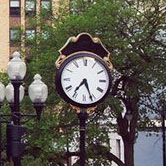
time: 7:26
